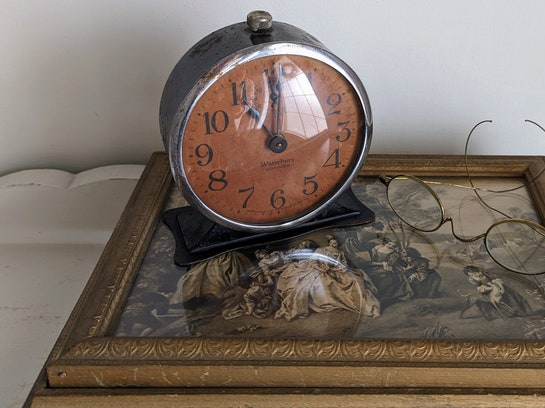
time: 11:00
